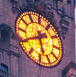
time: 5:40
